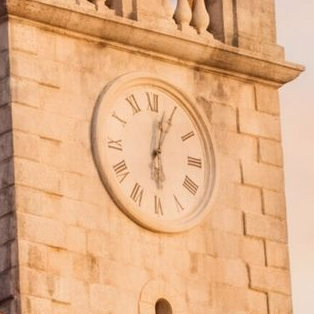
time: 6:03
